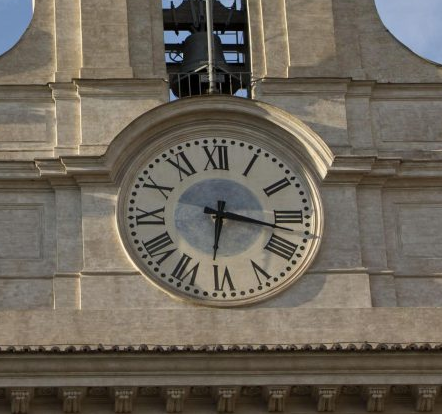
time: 6:17
